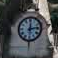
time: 12:13
